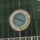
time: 3:48
